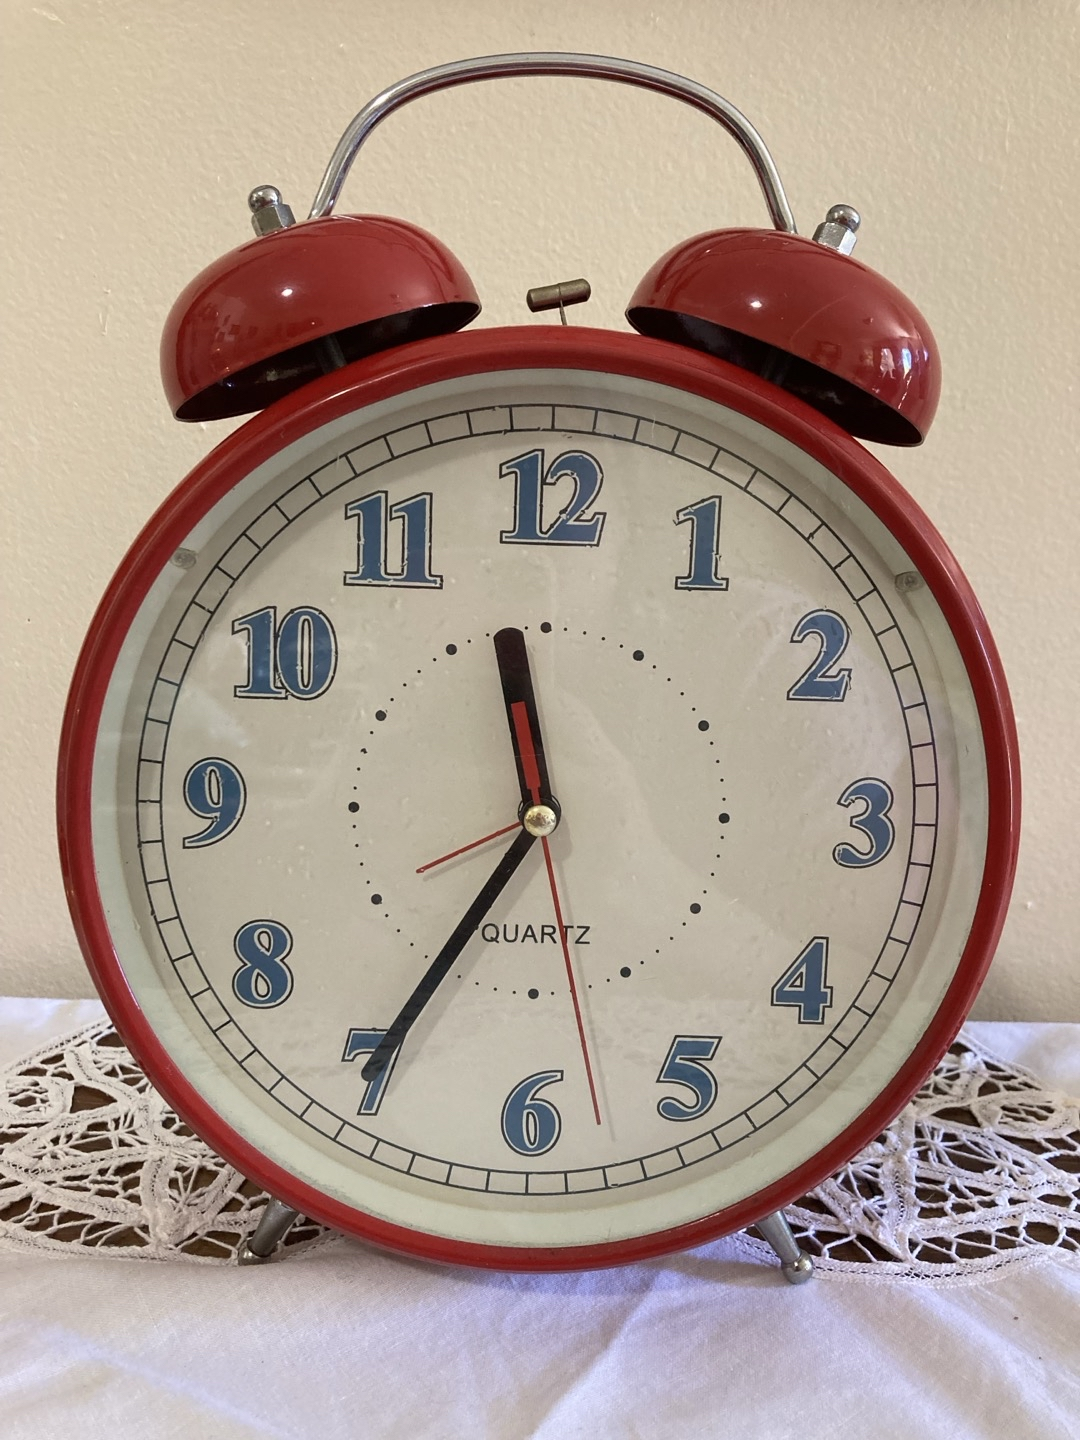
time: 11:35
